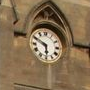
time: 5:49
